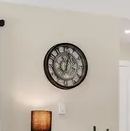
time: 7:02
